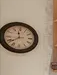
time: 11:38
